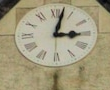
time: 3:02
